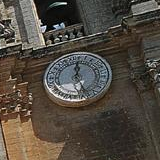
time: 12:27
